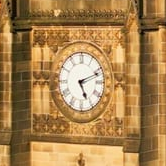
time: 5:11
